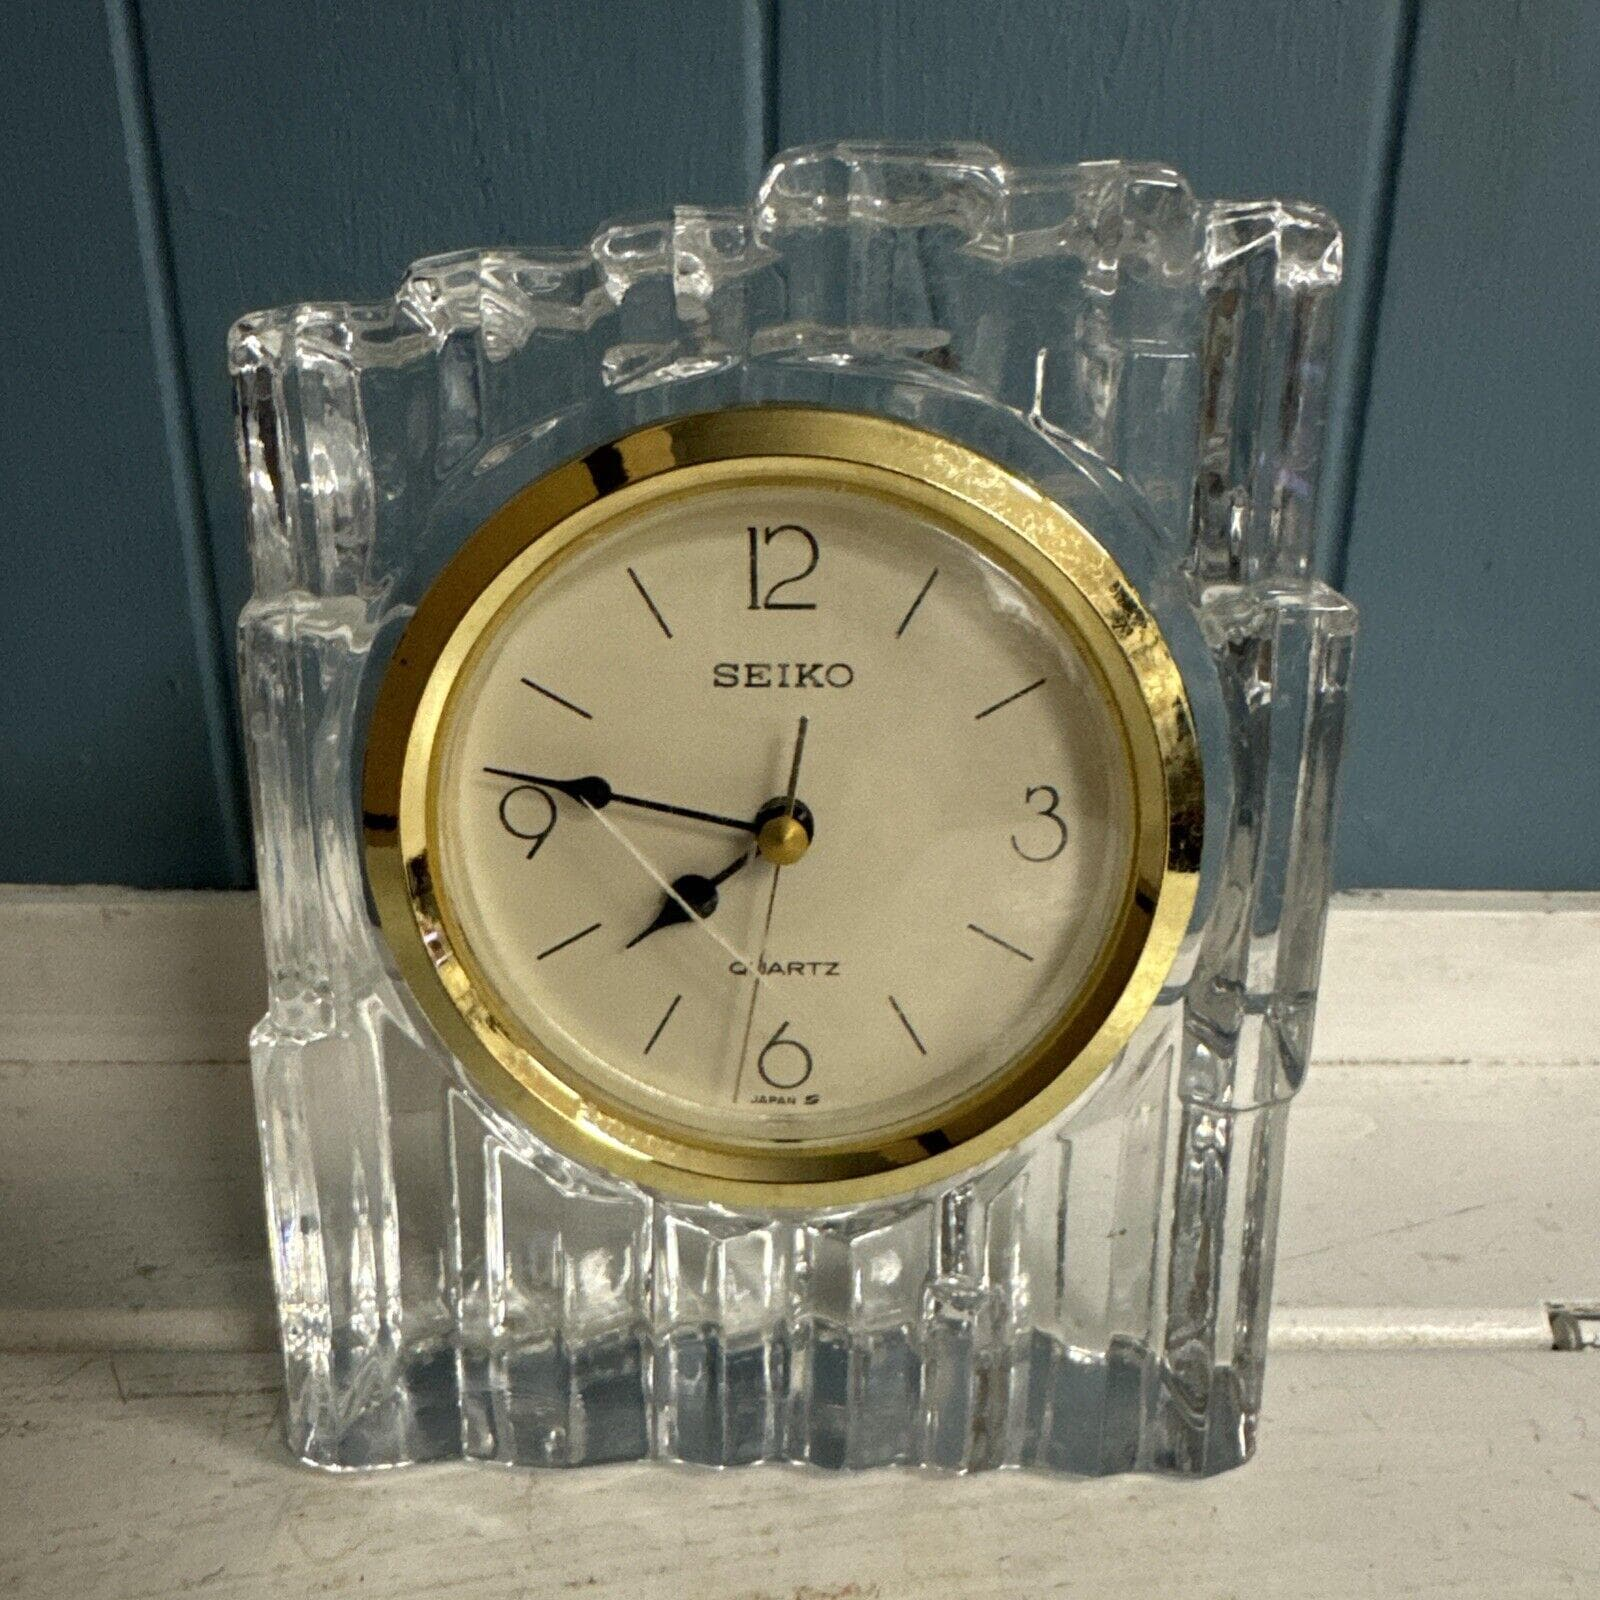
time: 7:46
